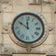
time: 11:50
